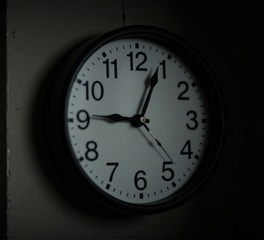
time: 9:04
